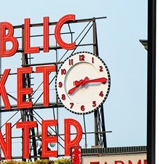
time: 8:14
